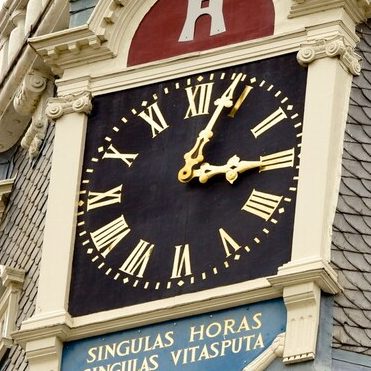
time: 3:03
